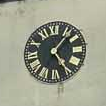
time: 1:24
